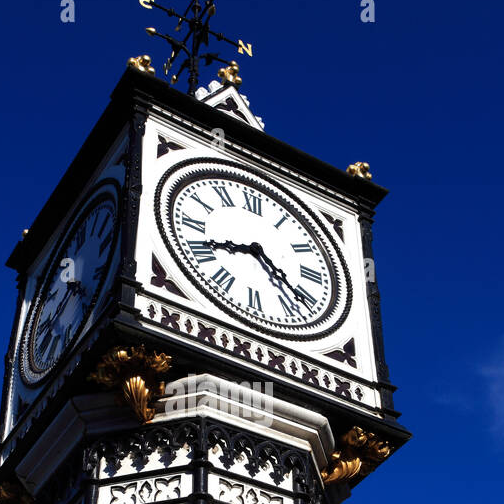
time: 8:21
